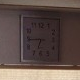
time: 6:44
